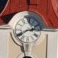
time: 2:40
